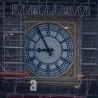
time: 8:54
